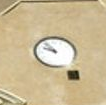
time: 9:53
